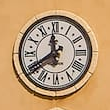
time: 11:39
